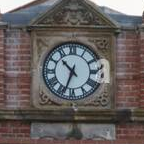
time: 10:33
